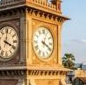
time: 4:03
